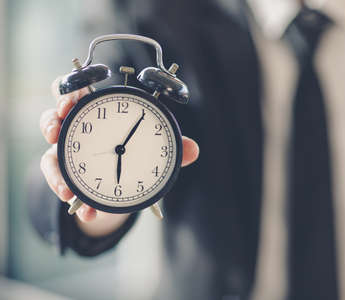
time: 6:05
